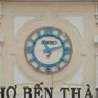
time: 11:12
